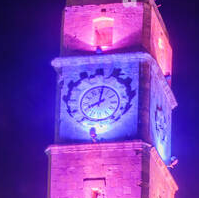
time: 8:01
